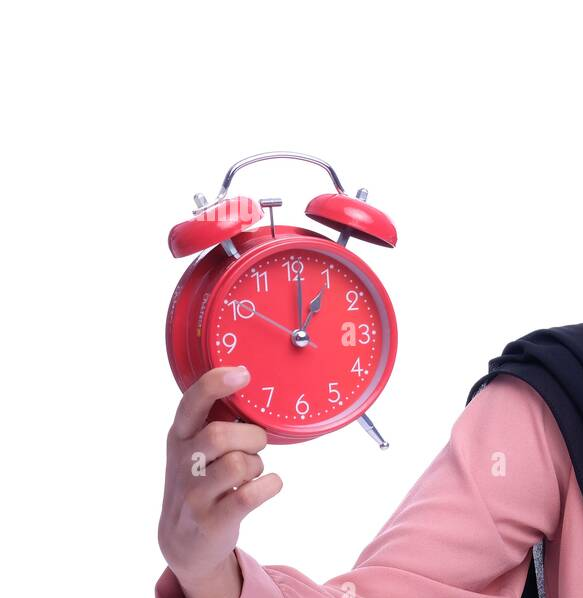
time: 1:01
